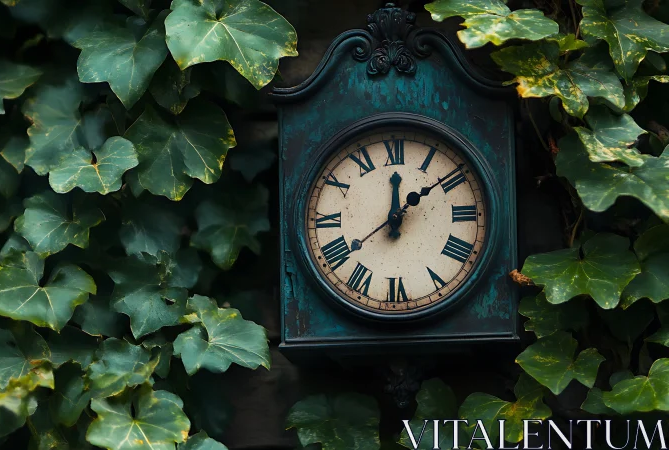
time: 12:08
